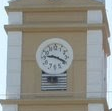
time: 9:18
